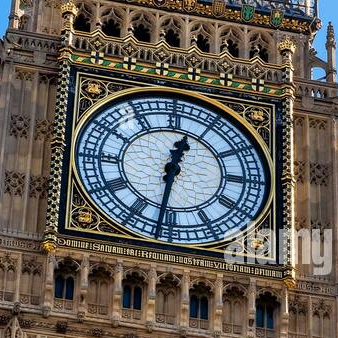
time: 12:31
